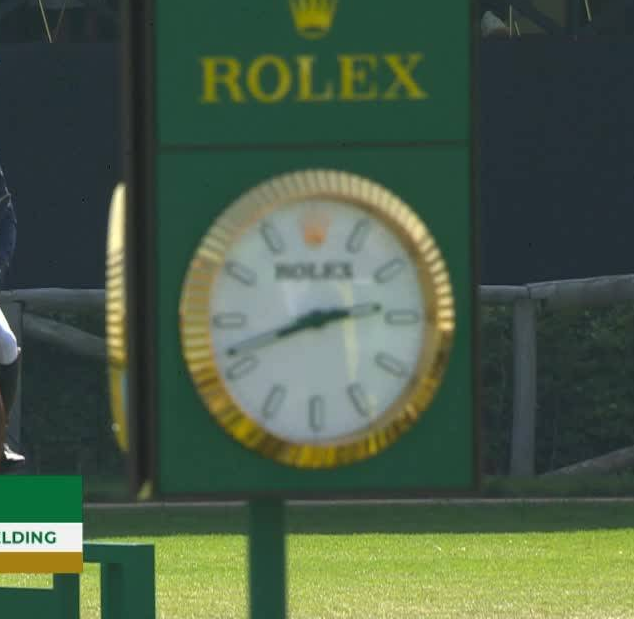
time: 2:41
